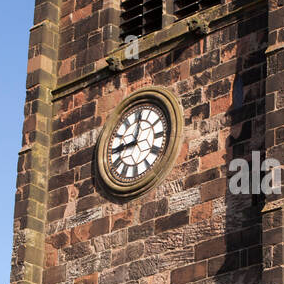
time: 9:01
